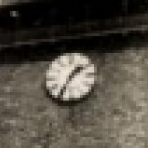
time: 1:35
